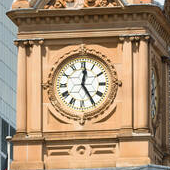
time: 12:24
